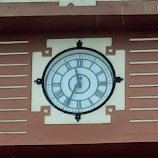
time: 11:34
